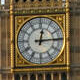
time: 12:14
